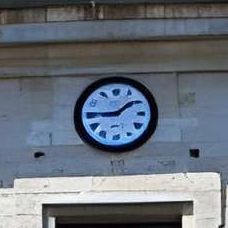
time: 1:45
